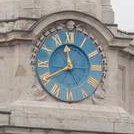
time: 11:40
